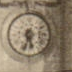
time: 5:33
